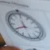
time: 11:40
